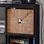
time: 8:07
